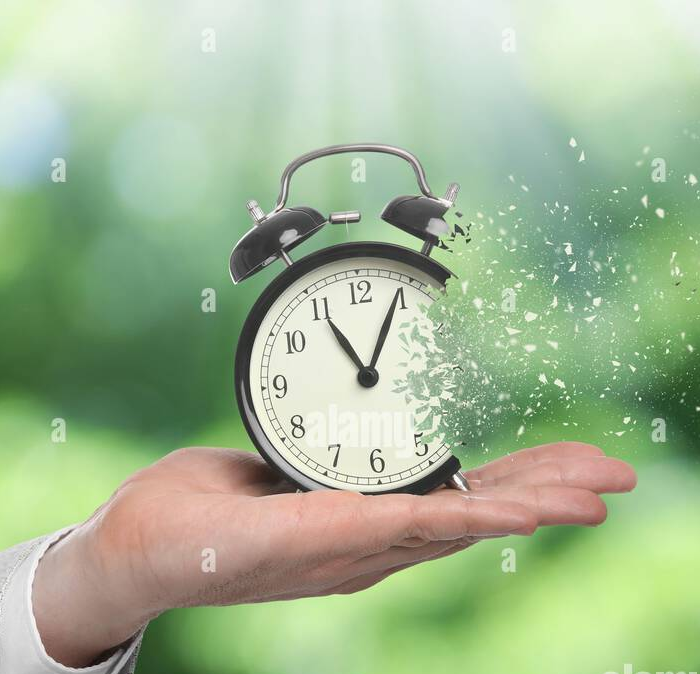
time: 11:04
